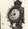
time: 11:42
